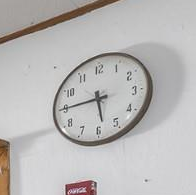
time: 5:45
